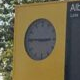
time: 2:45
